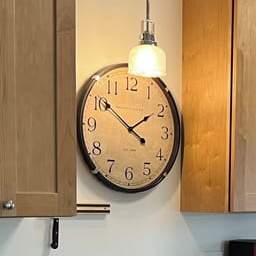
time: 1:50
